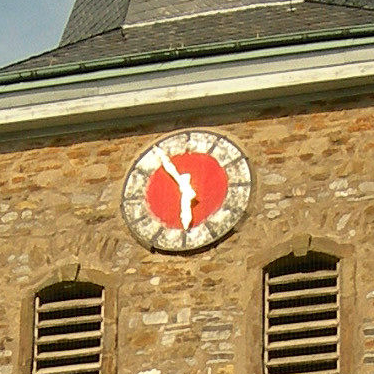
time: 5:54
